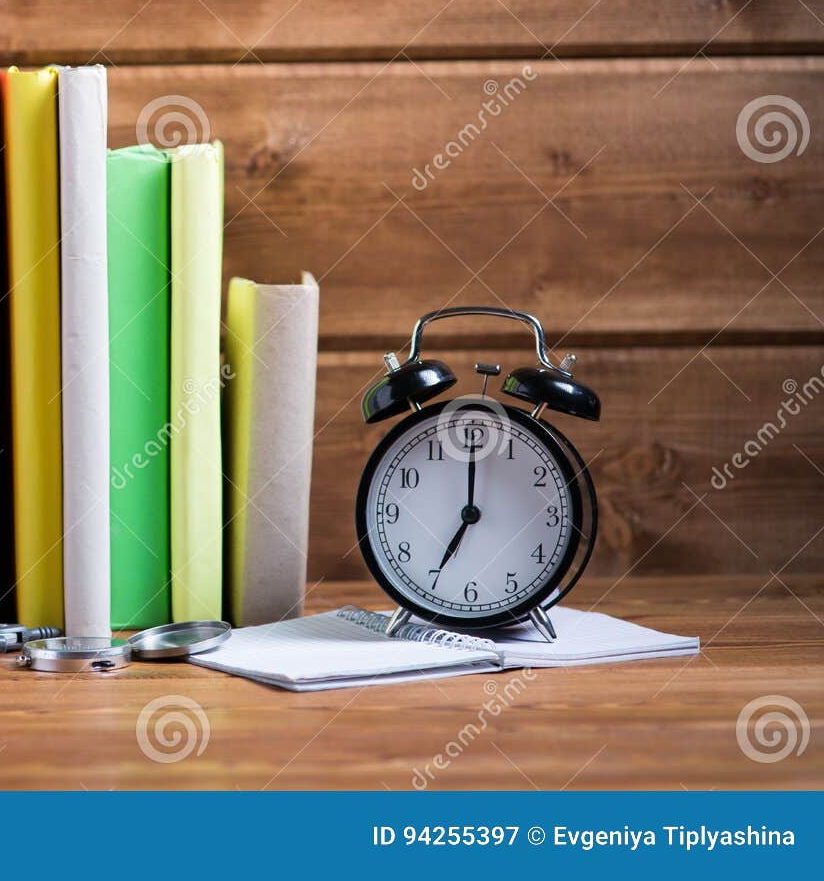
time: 7:00
